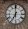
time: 6:59
